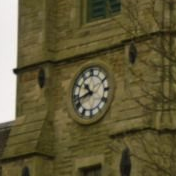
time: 10:42
